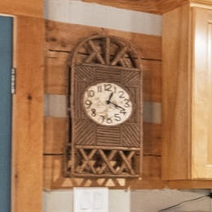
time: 1:18
